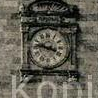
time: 3:46
